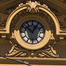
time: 12:52
